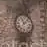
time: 11:07
